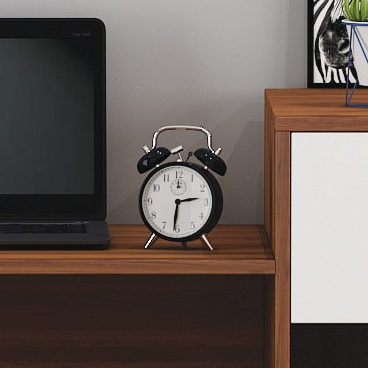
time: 2:31
